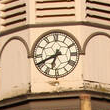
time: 6:40
